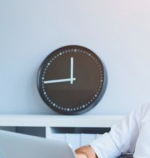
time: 11:43
